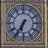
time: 6:36
